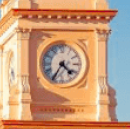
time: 4:35
